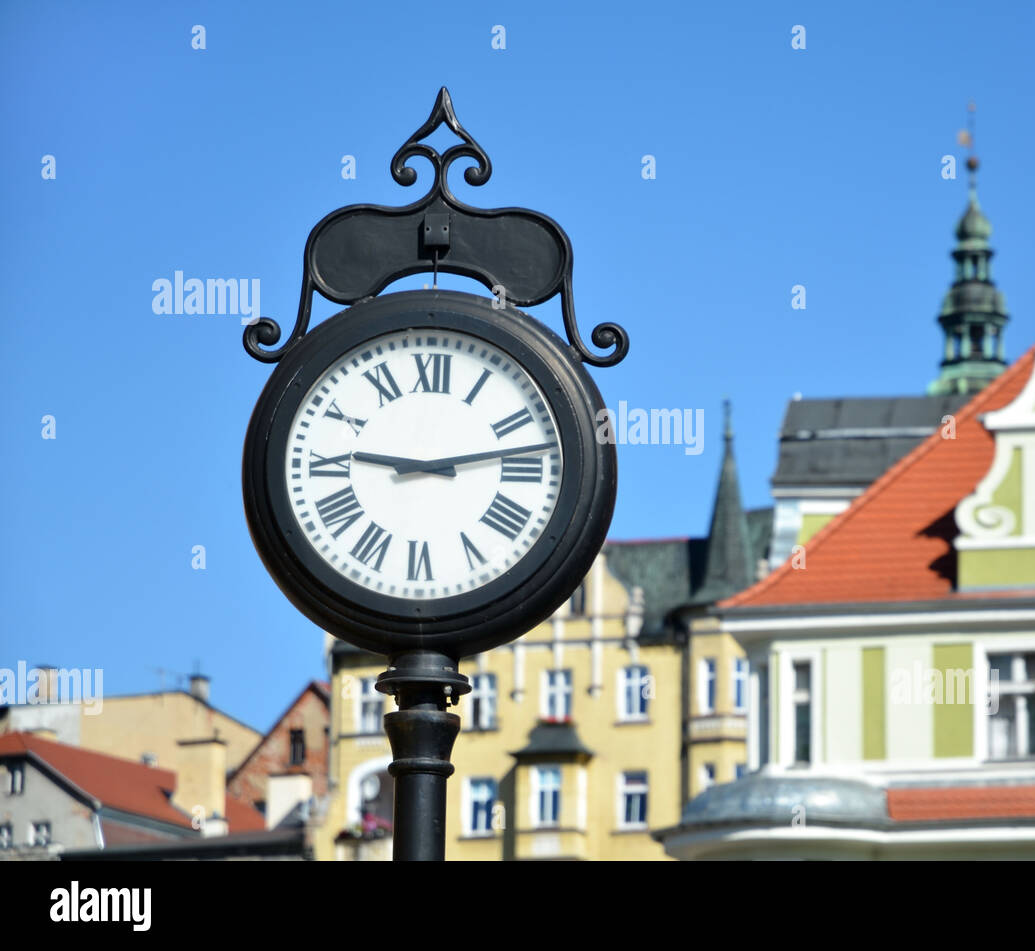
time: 9:13
